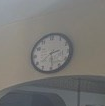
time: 2:29
